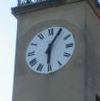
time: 6:04
